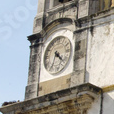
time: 4:34
